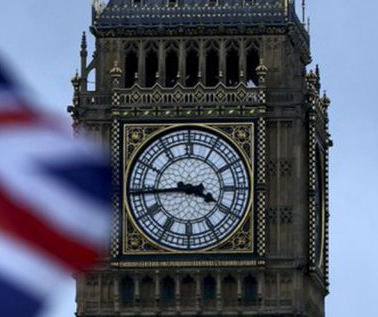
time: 3:43
